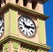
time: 10:13
